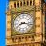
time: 8:17
